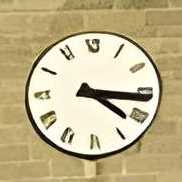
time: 4:16
